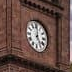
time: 5:00
